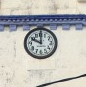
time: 10:00
